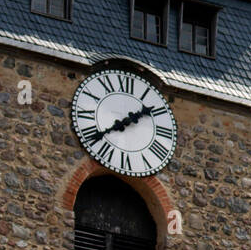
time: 1:38
